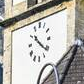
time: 10:21
